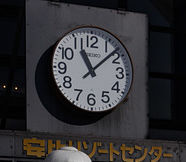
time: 11:07
